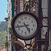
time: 4:43
